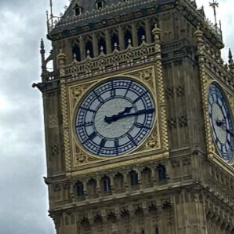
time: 2:15
